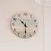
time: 10:29
